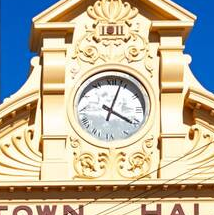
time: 4:03
